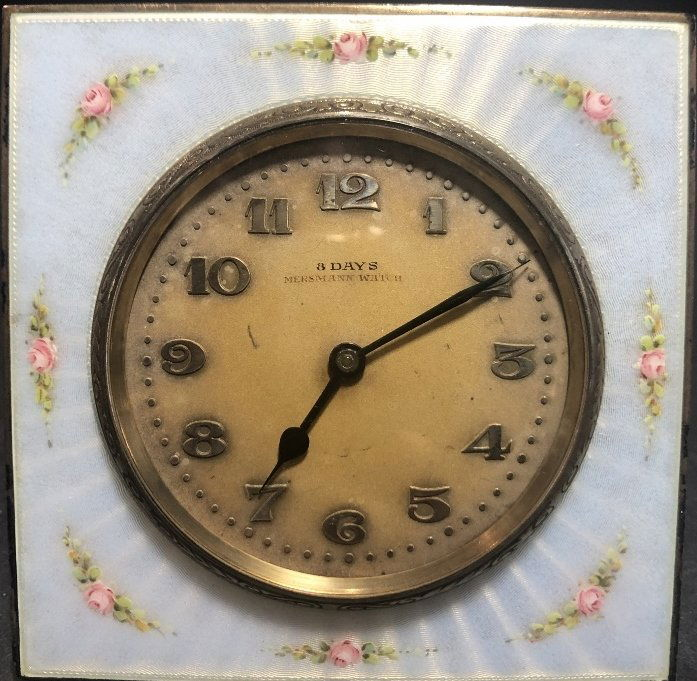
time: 7:10
